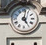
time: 5:01
